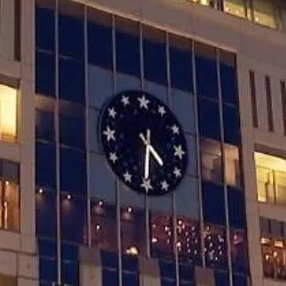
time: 4:30
